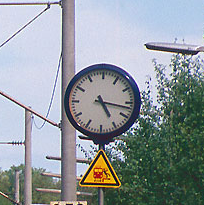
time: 5:16
